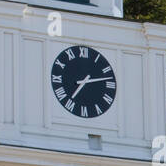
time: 7:13
